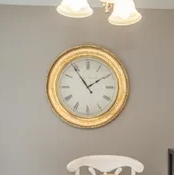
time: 1:54
